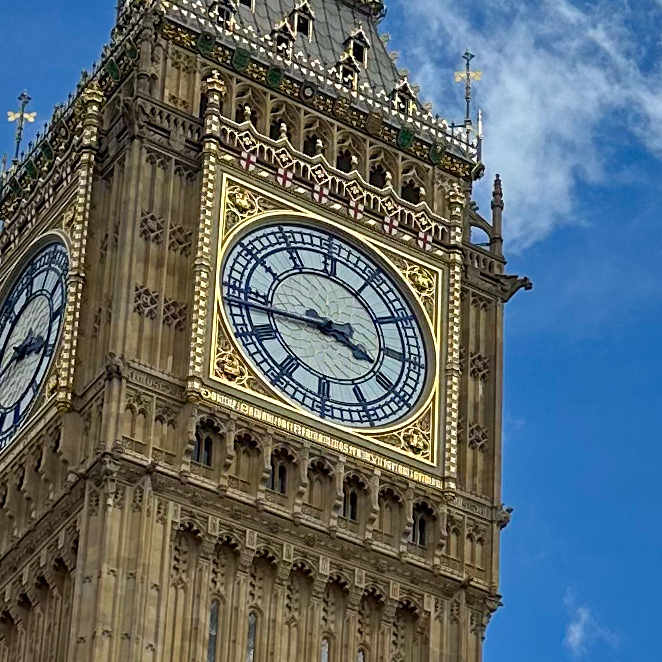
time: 3:43
